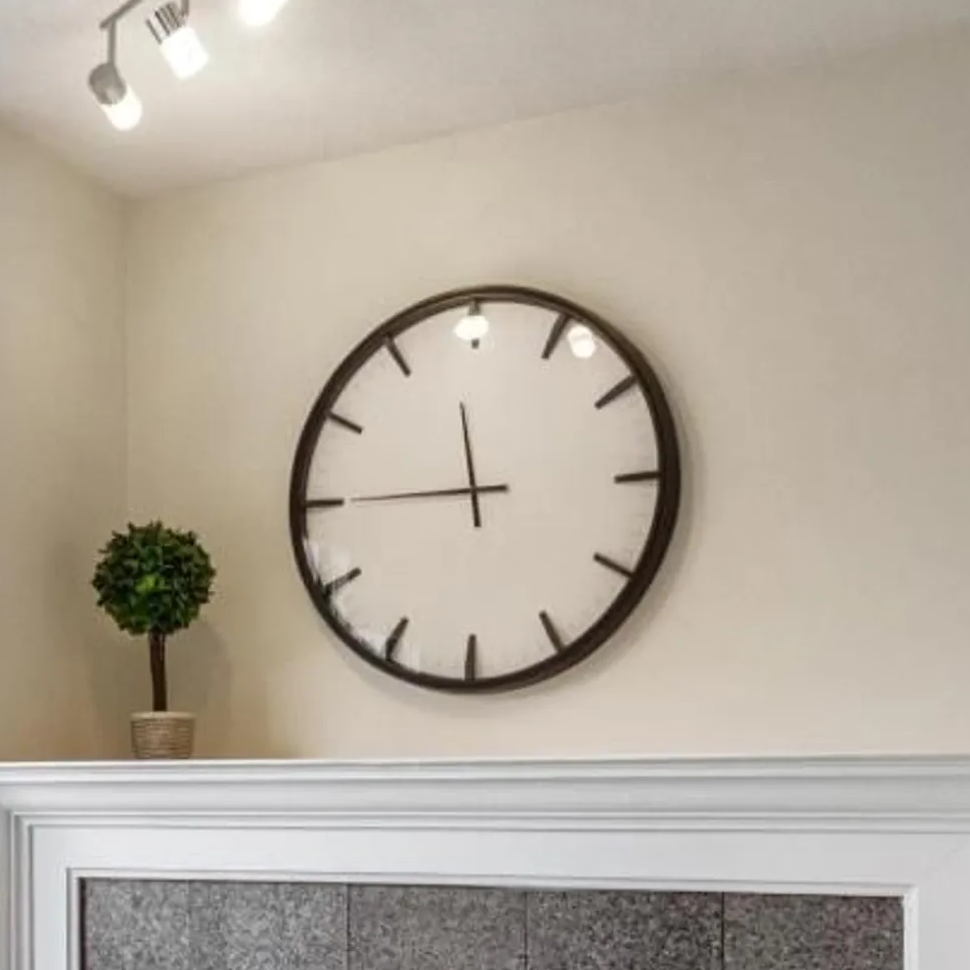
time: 11:45
